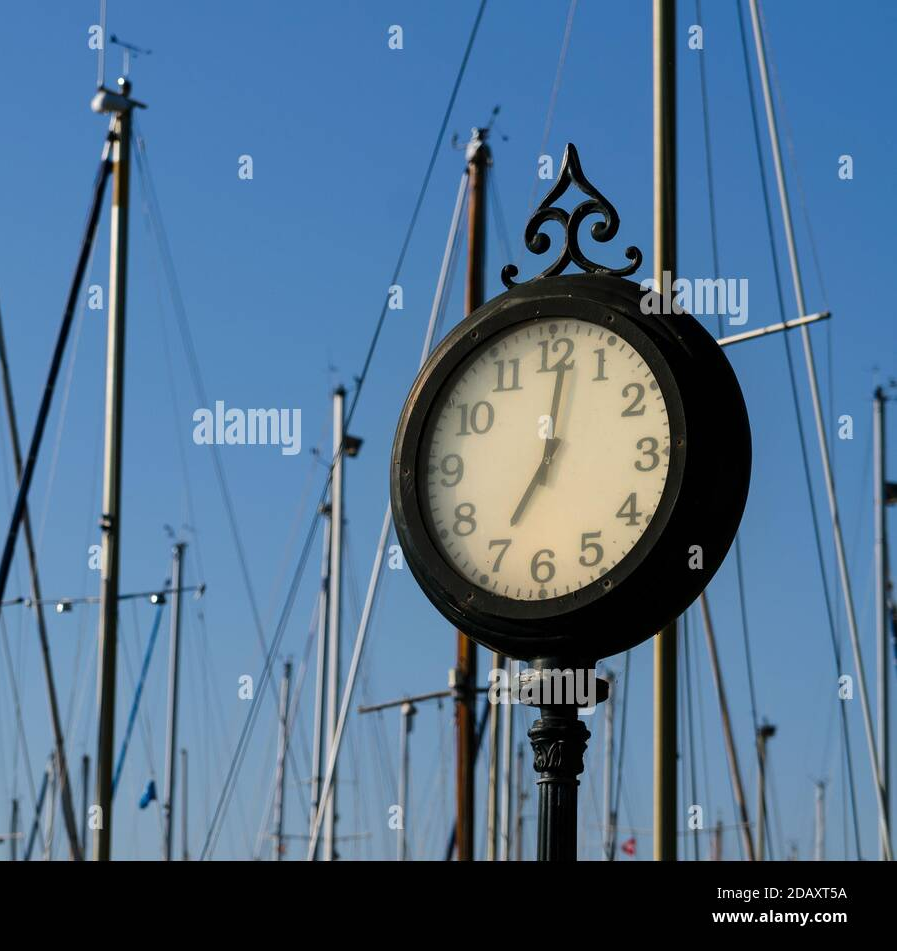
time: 7:01
